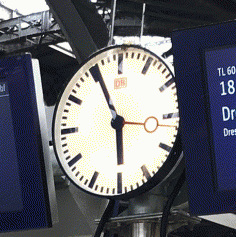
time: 5:55
